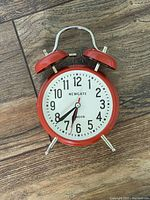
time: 6:38
